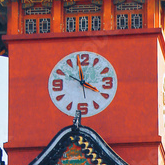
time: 3:58
